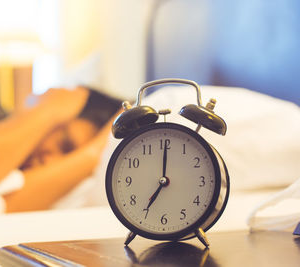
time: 7:00
